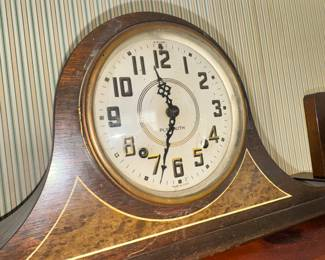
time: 11:33
